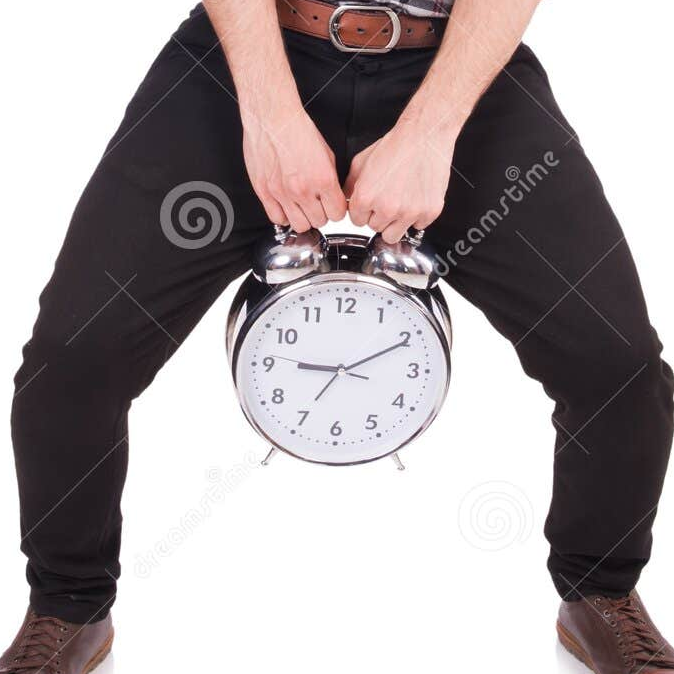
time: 9:10
